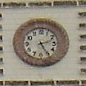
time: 2:25
